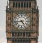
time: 4:43
